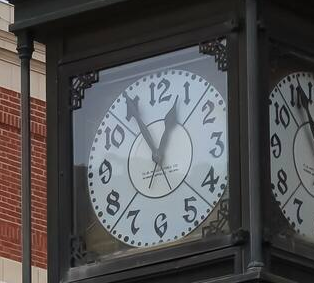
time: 12:55
